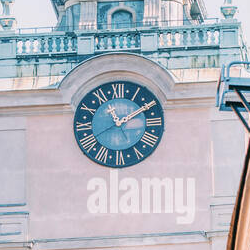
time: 11:10
